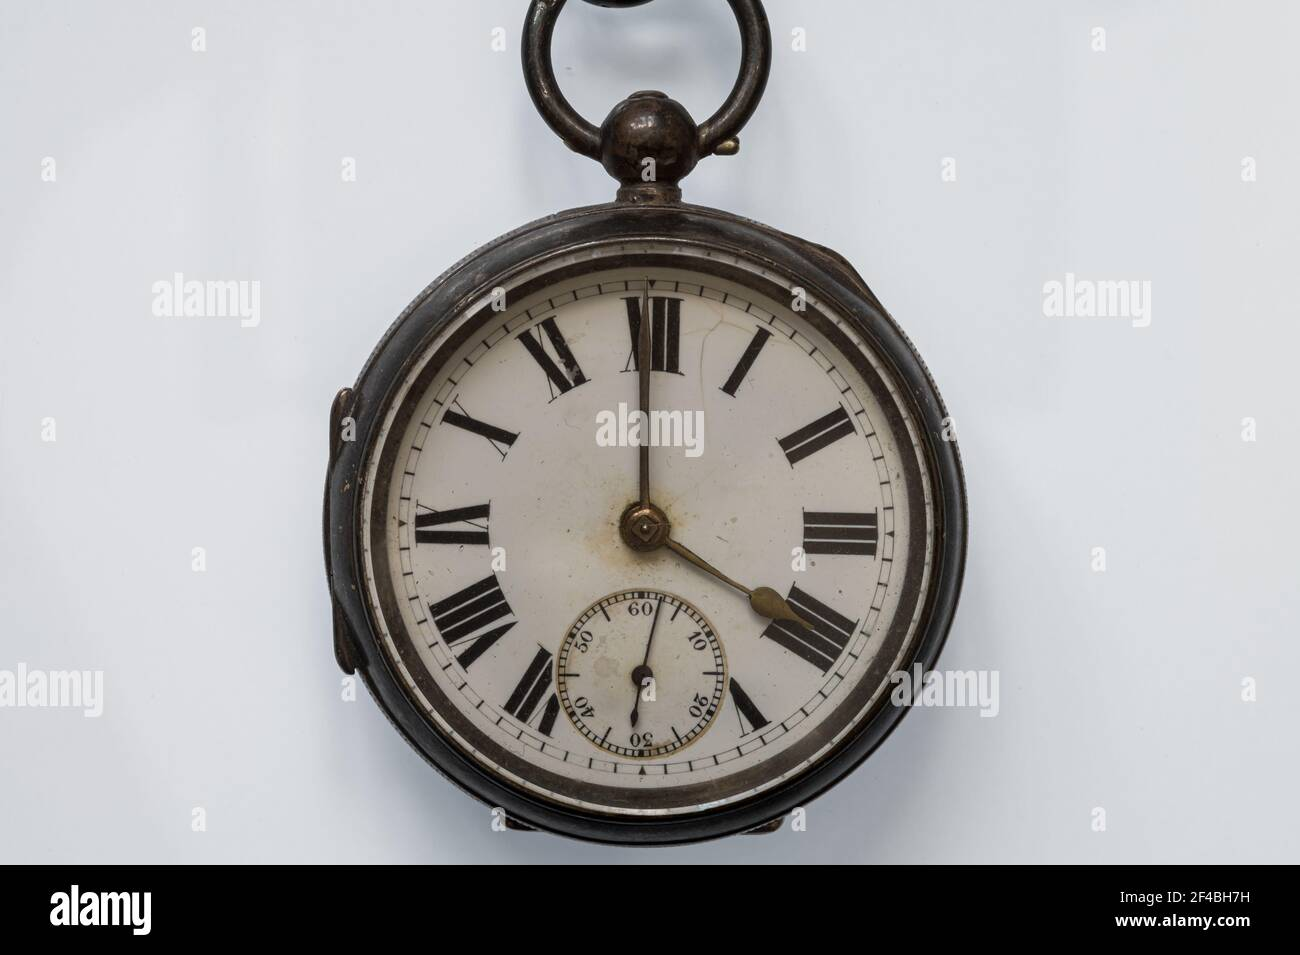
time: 3:59
